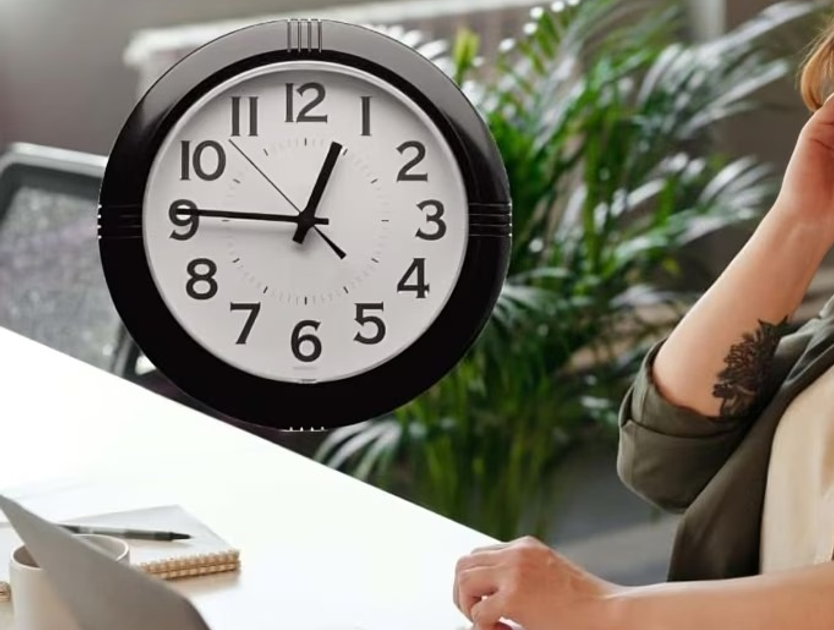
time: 12:45
